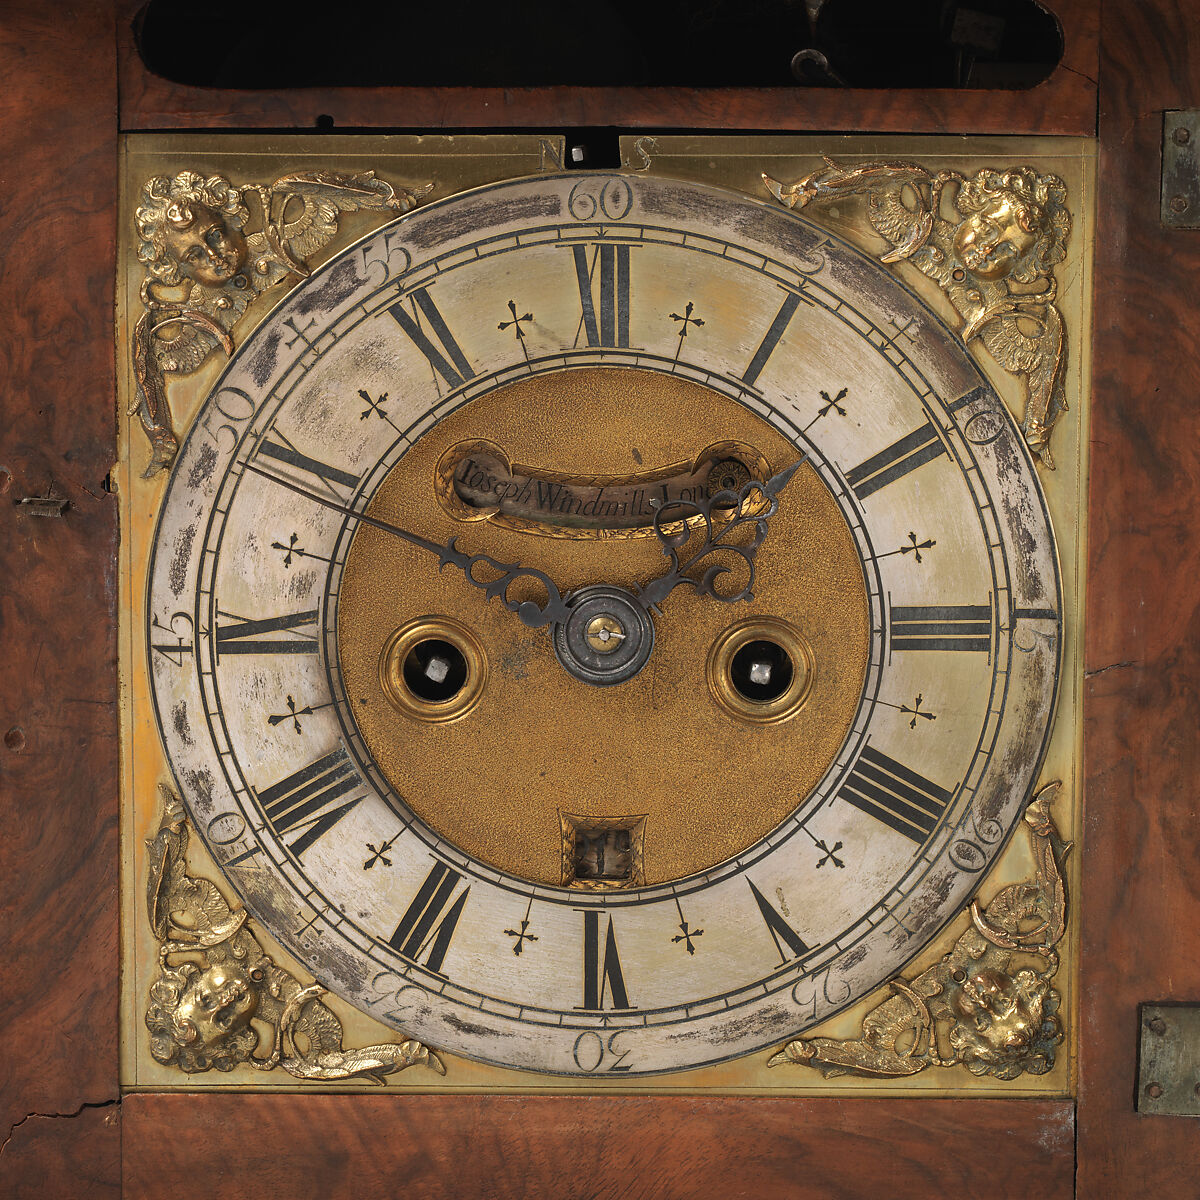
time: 1:49
